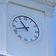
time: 10:42
